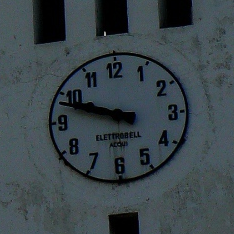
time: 9:48
